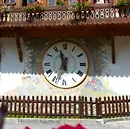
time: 12:57
